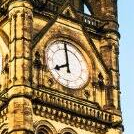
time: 7:59
